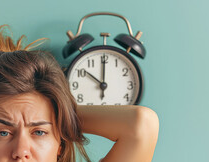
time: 10:00
